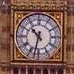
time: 10:32
